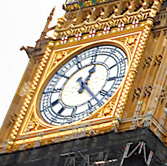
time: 12:22
